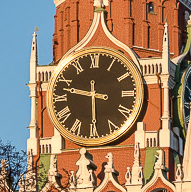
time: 9:29
